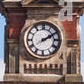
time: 2:09
